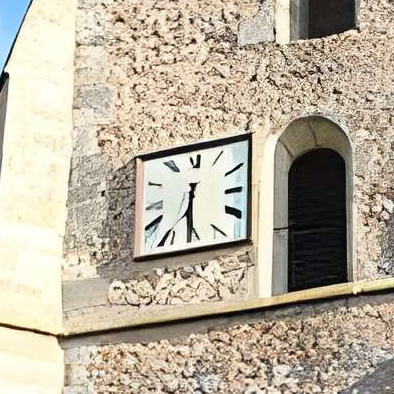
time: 6:30
